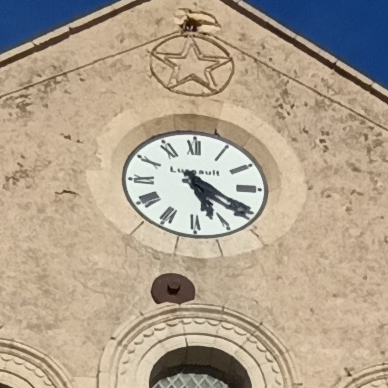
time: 5:20
